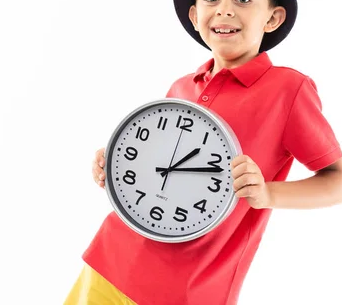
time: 1:12
